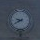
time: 9:40
